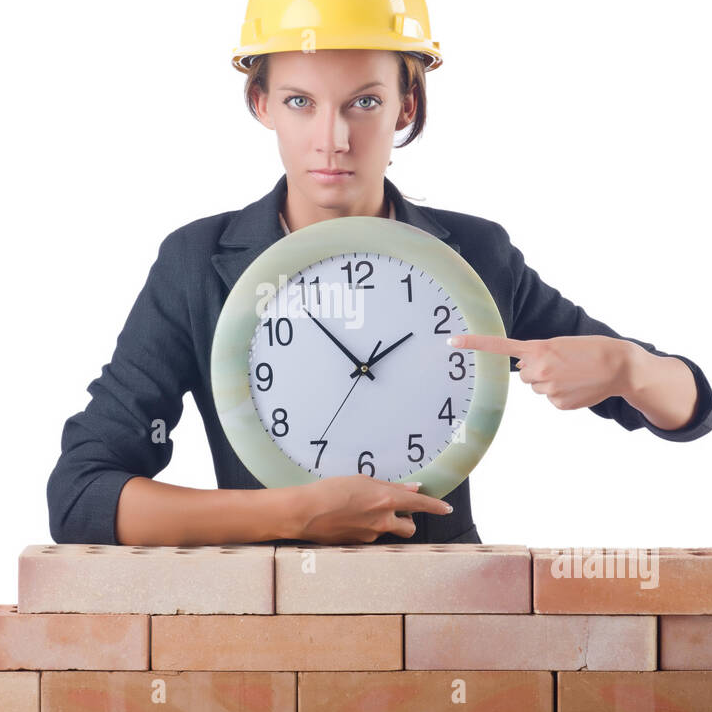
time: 1:53
